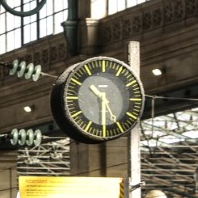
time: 10:30
